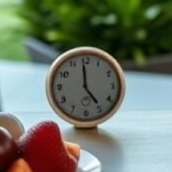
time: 4:59
